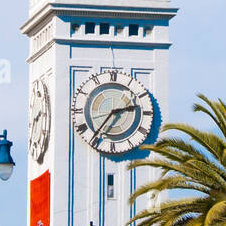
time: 2:36
